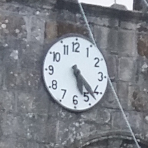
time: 5:22
